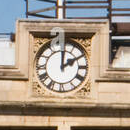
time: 2:01
